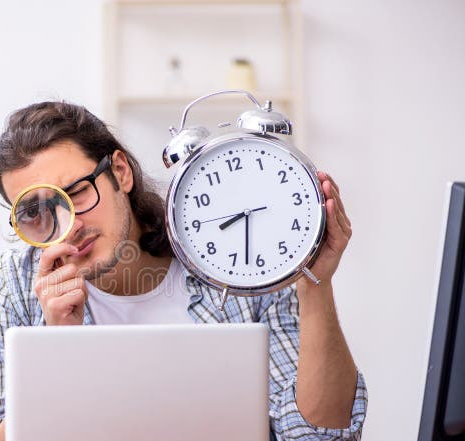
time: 8:32
